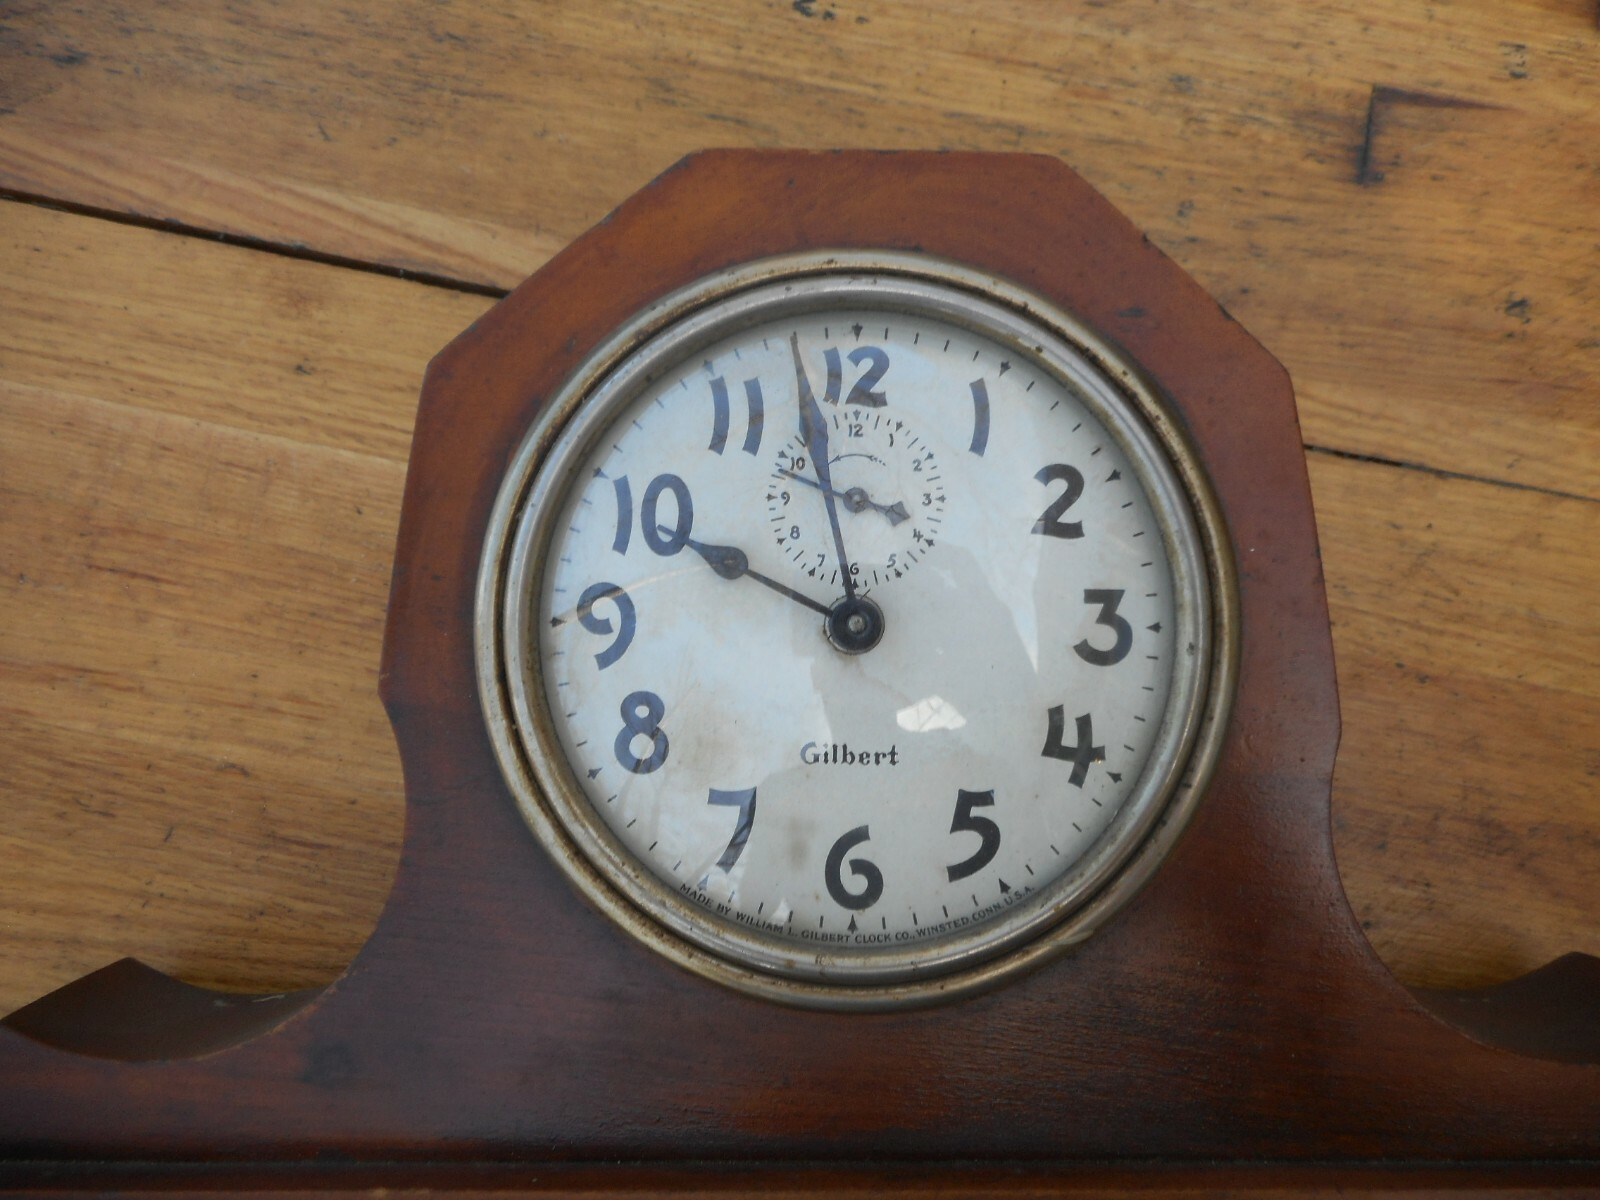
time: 9:57
